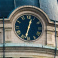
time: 12:32
